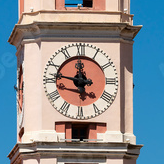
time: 11:46
